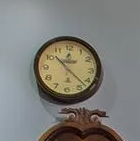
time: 10:22
